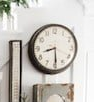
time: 8:29
